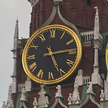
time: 5:14
